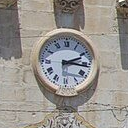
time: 2:16
